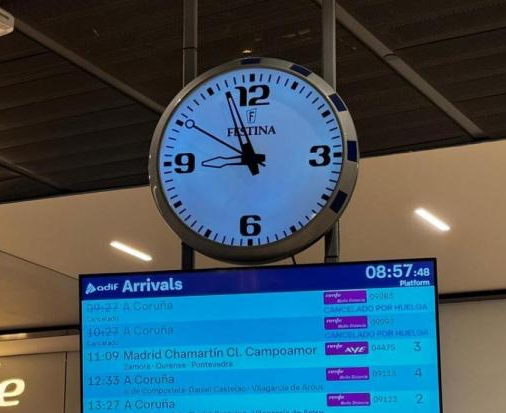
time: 9:56
